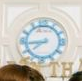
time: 7:43
